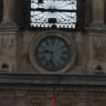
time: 9:32
